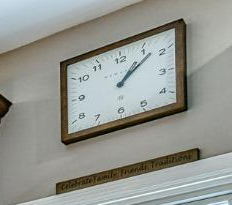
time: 1:07
